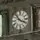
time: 3:52
